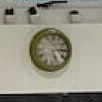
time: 5:14
